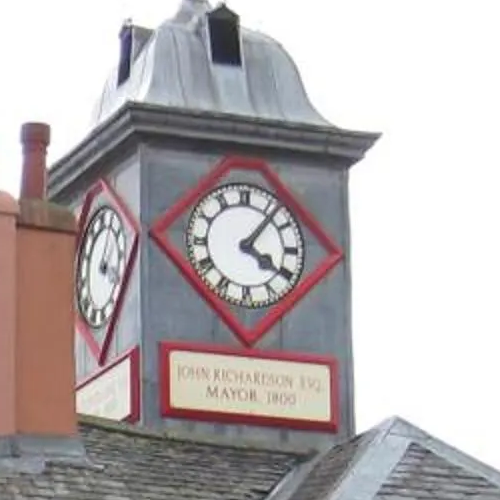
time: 4:06
